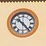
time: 10:23
